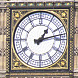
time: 1:12
